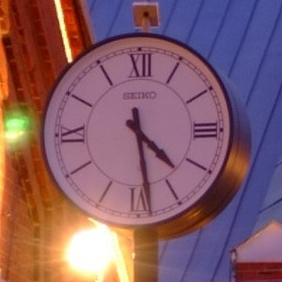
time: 4:28
